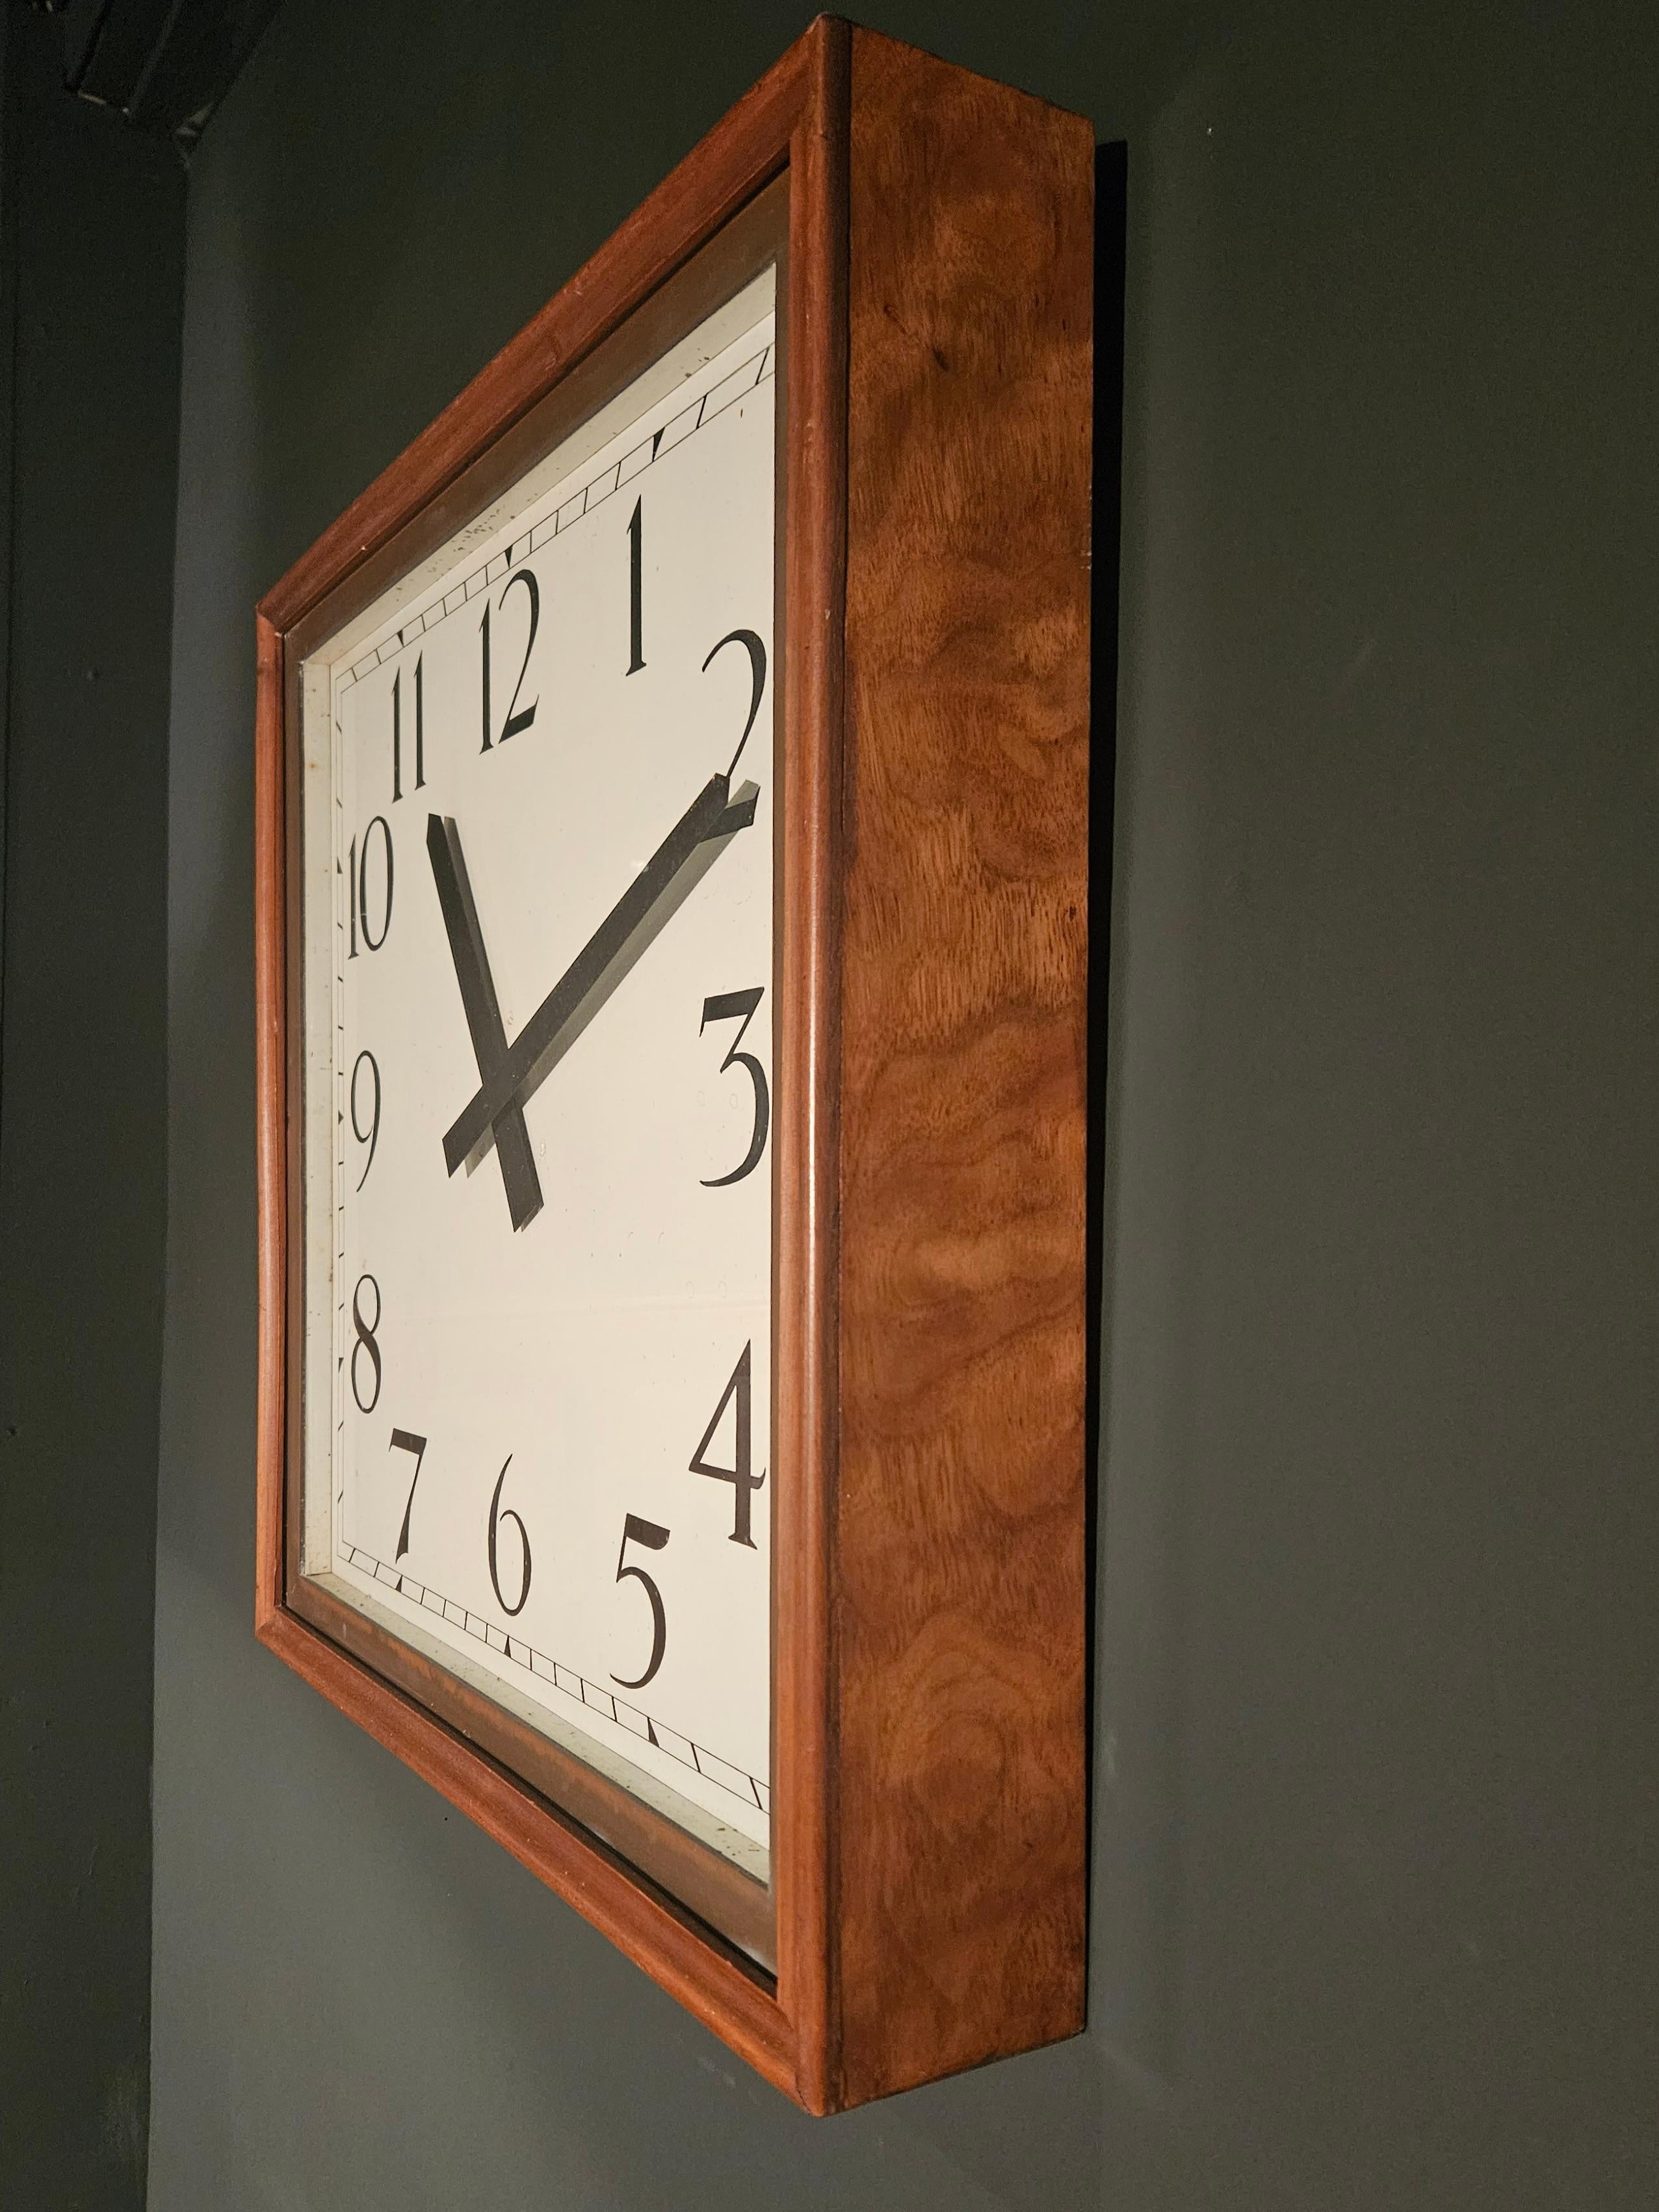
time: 11:11
